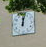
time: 12:01
